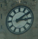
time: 3:09
